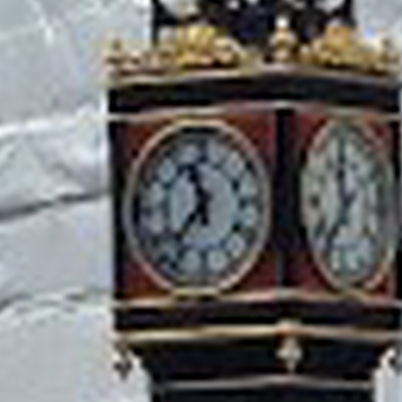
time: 11:37
